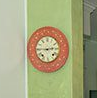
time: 2:45
